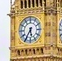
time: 5:35
